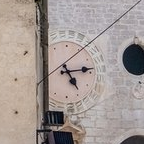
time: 4:13
